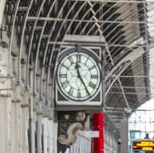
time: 11:24
